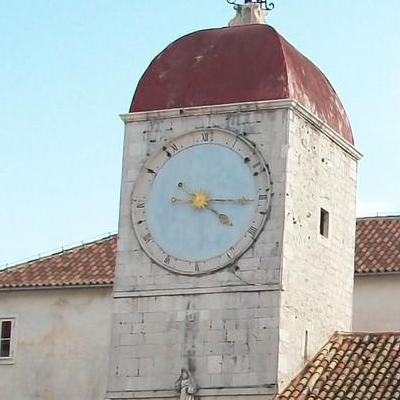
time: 4:15
